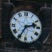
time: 2:35
